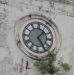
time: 1:24
